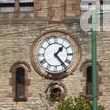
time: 1:23
